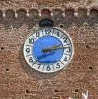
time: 2:13
